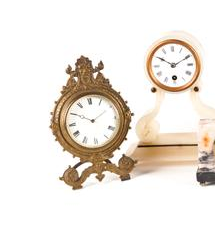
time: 1:49
